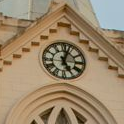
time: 5:02
